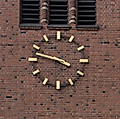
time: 3:47
